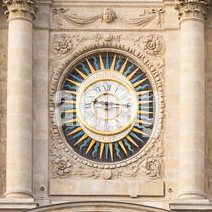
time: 9:15
